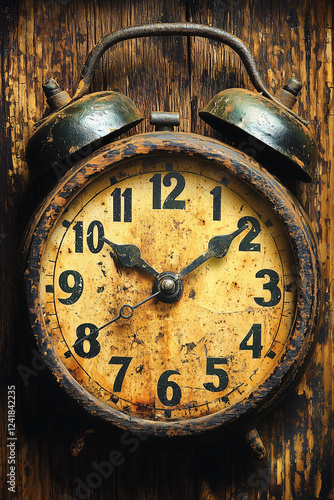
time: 10:09
